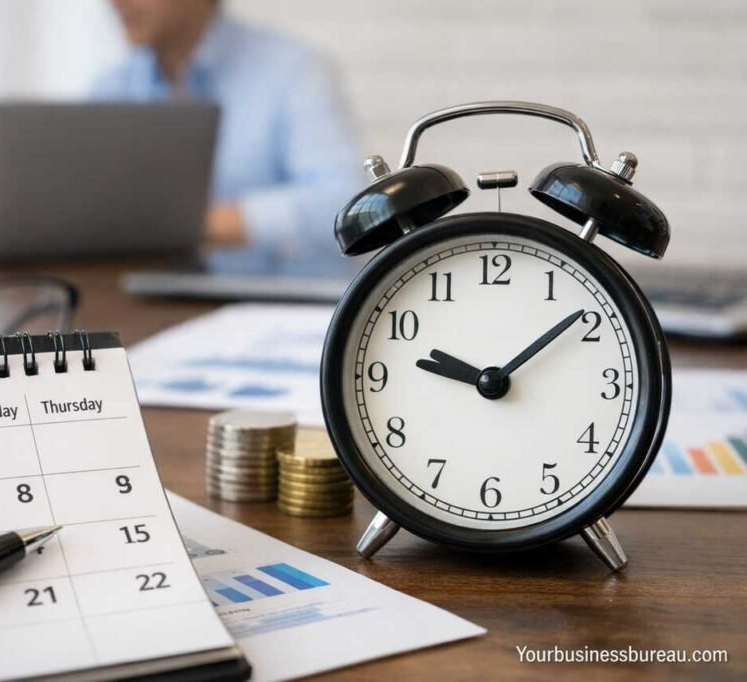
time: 9:09
